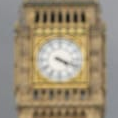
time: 4:18
